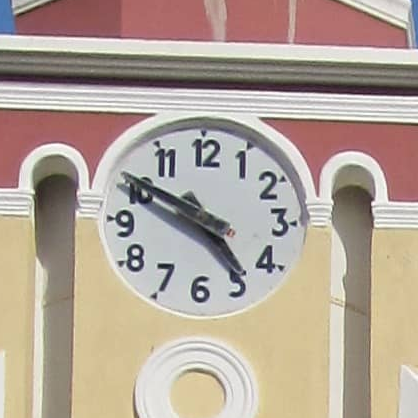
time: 4:50
